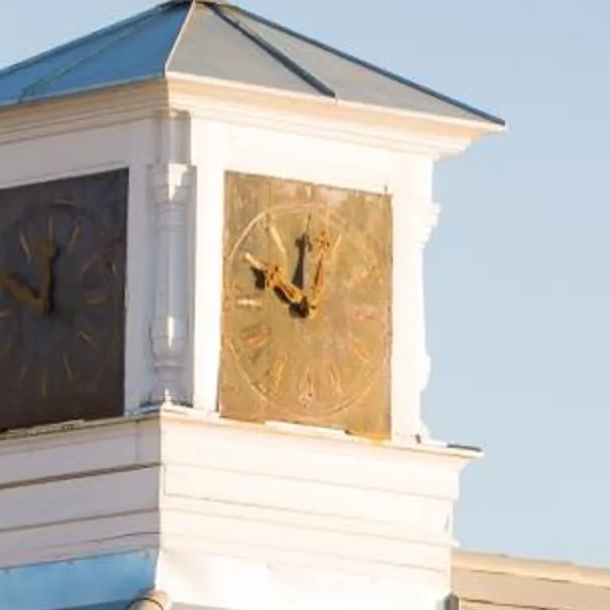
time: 10:00
